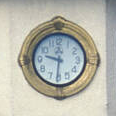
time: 9:30
